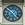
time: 4:51
